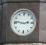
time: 2:46
